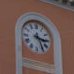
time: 3:24
